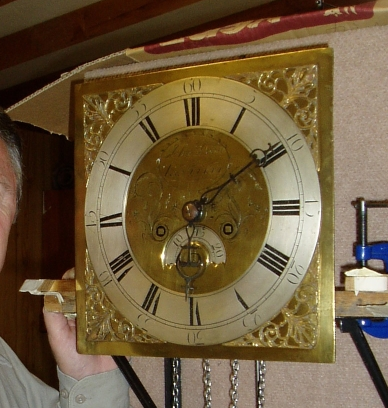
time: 7:09
